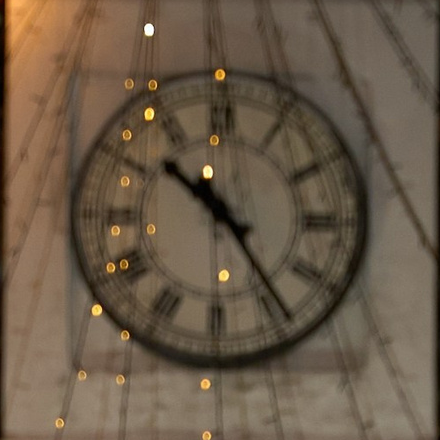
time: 10:24
